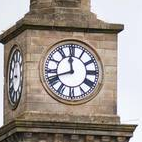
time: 11:42
